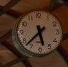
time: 5:37
